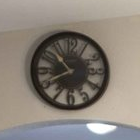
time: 10:40
